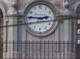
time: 2:46
